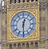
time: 12:29
